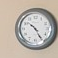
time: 10:24
